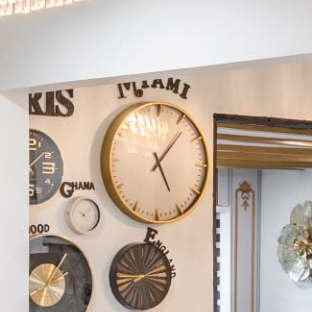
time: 5:06
